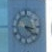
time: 3:21
